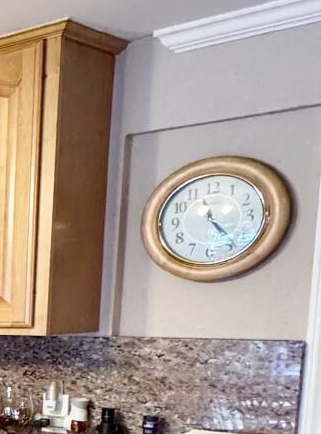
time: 11:23
